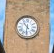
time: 10:31
